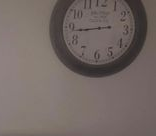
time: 8:43
